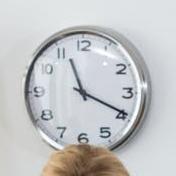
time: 11:19
